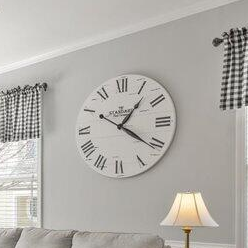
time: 1:20
